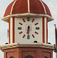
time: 6:30
